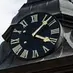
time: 4:07
